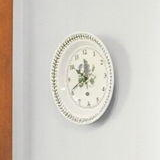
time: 11:50
